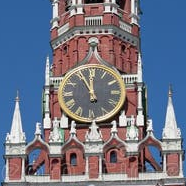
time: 10:59
